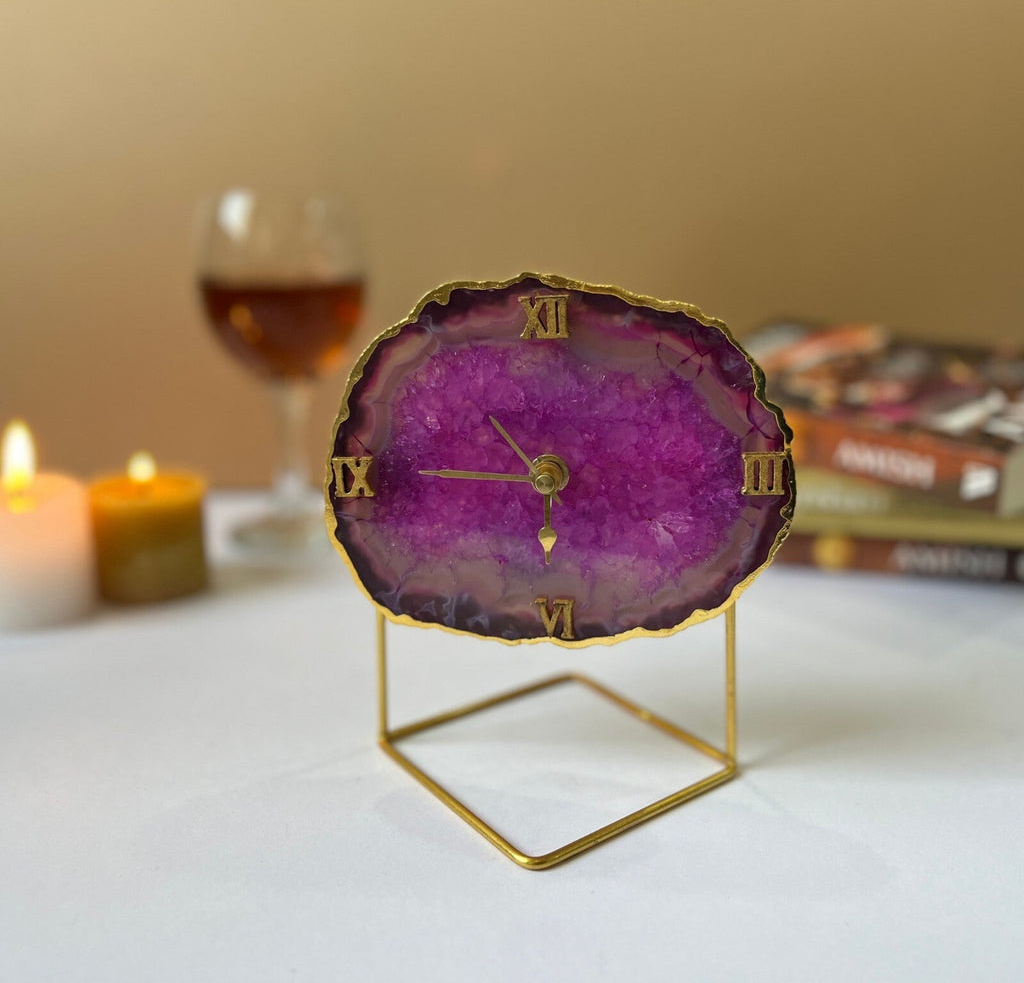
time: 10:45
